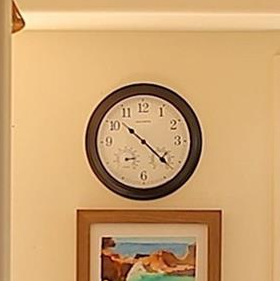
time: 10:22
